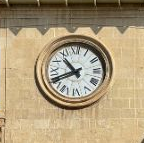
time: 10:41
